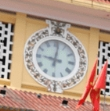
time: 9:01
